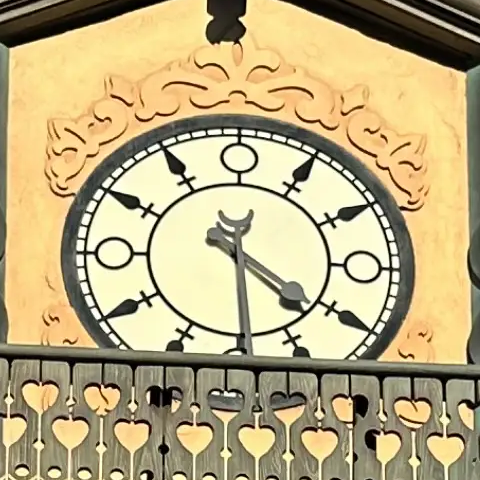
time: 4:29
